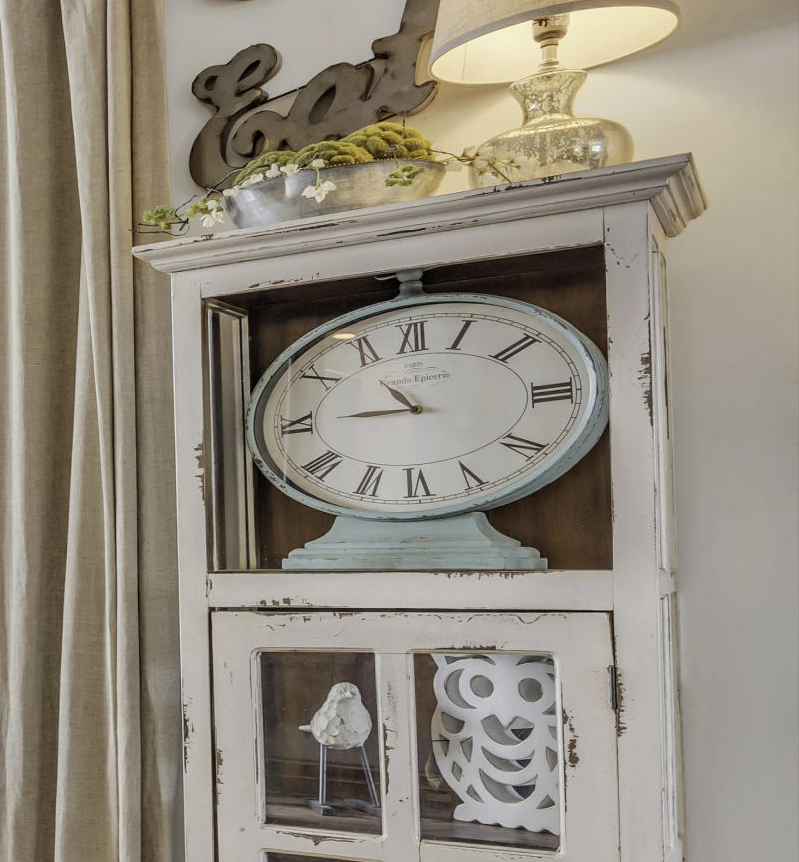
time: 10:45
